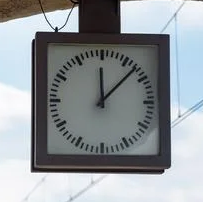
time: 12:07
